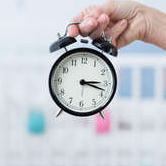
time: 3:18
